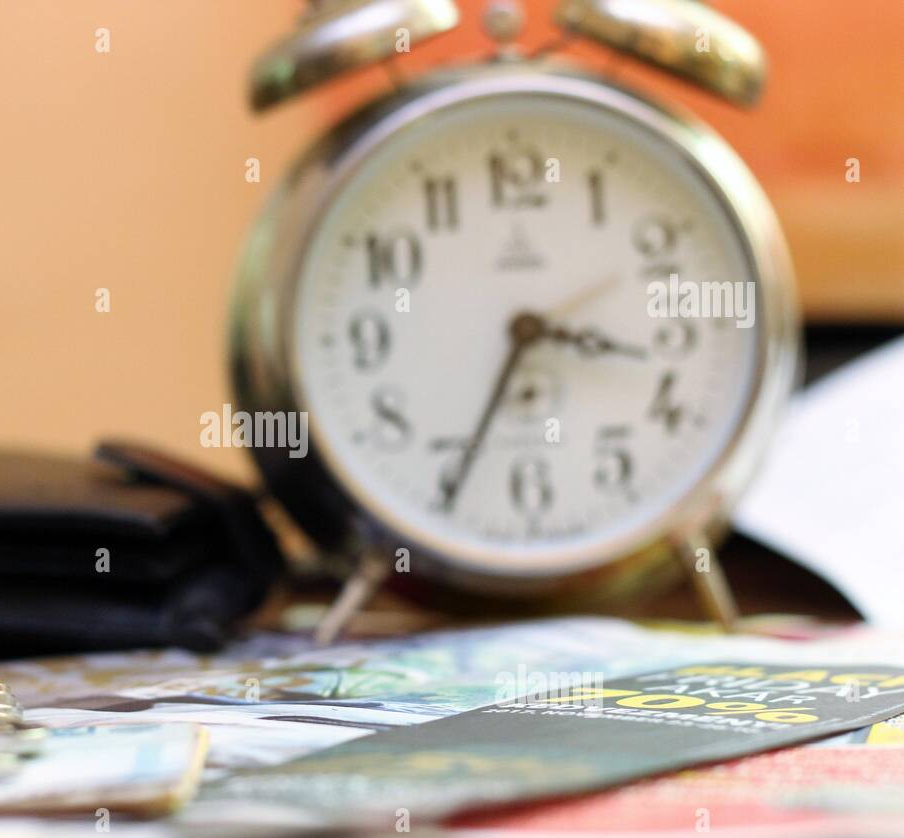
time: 3:34
